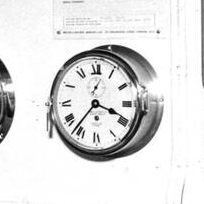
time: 3:36
